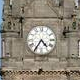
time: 4:35
